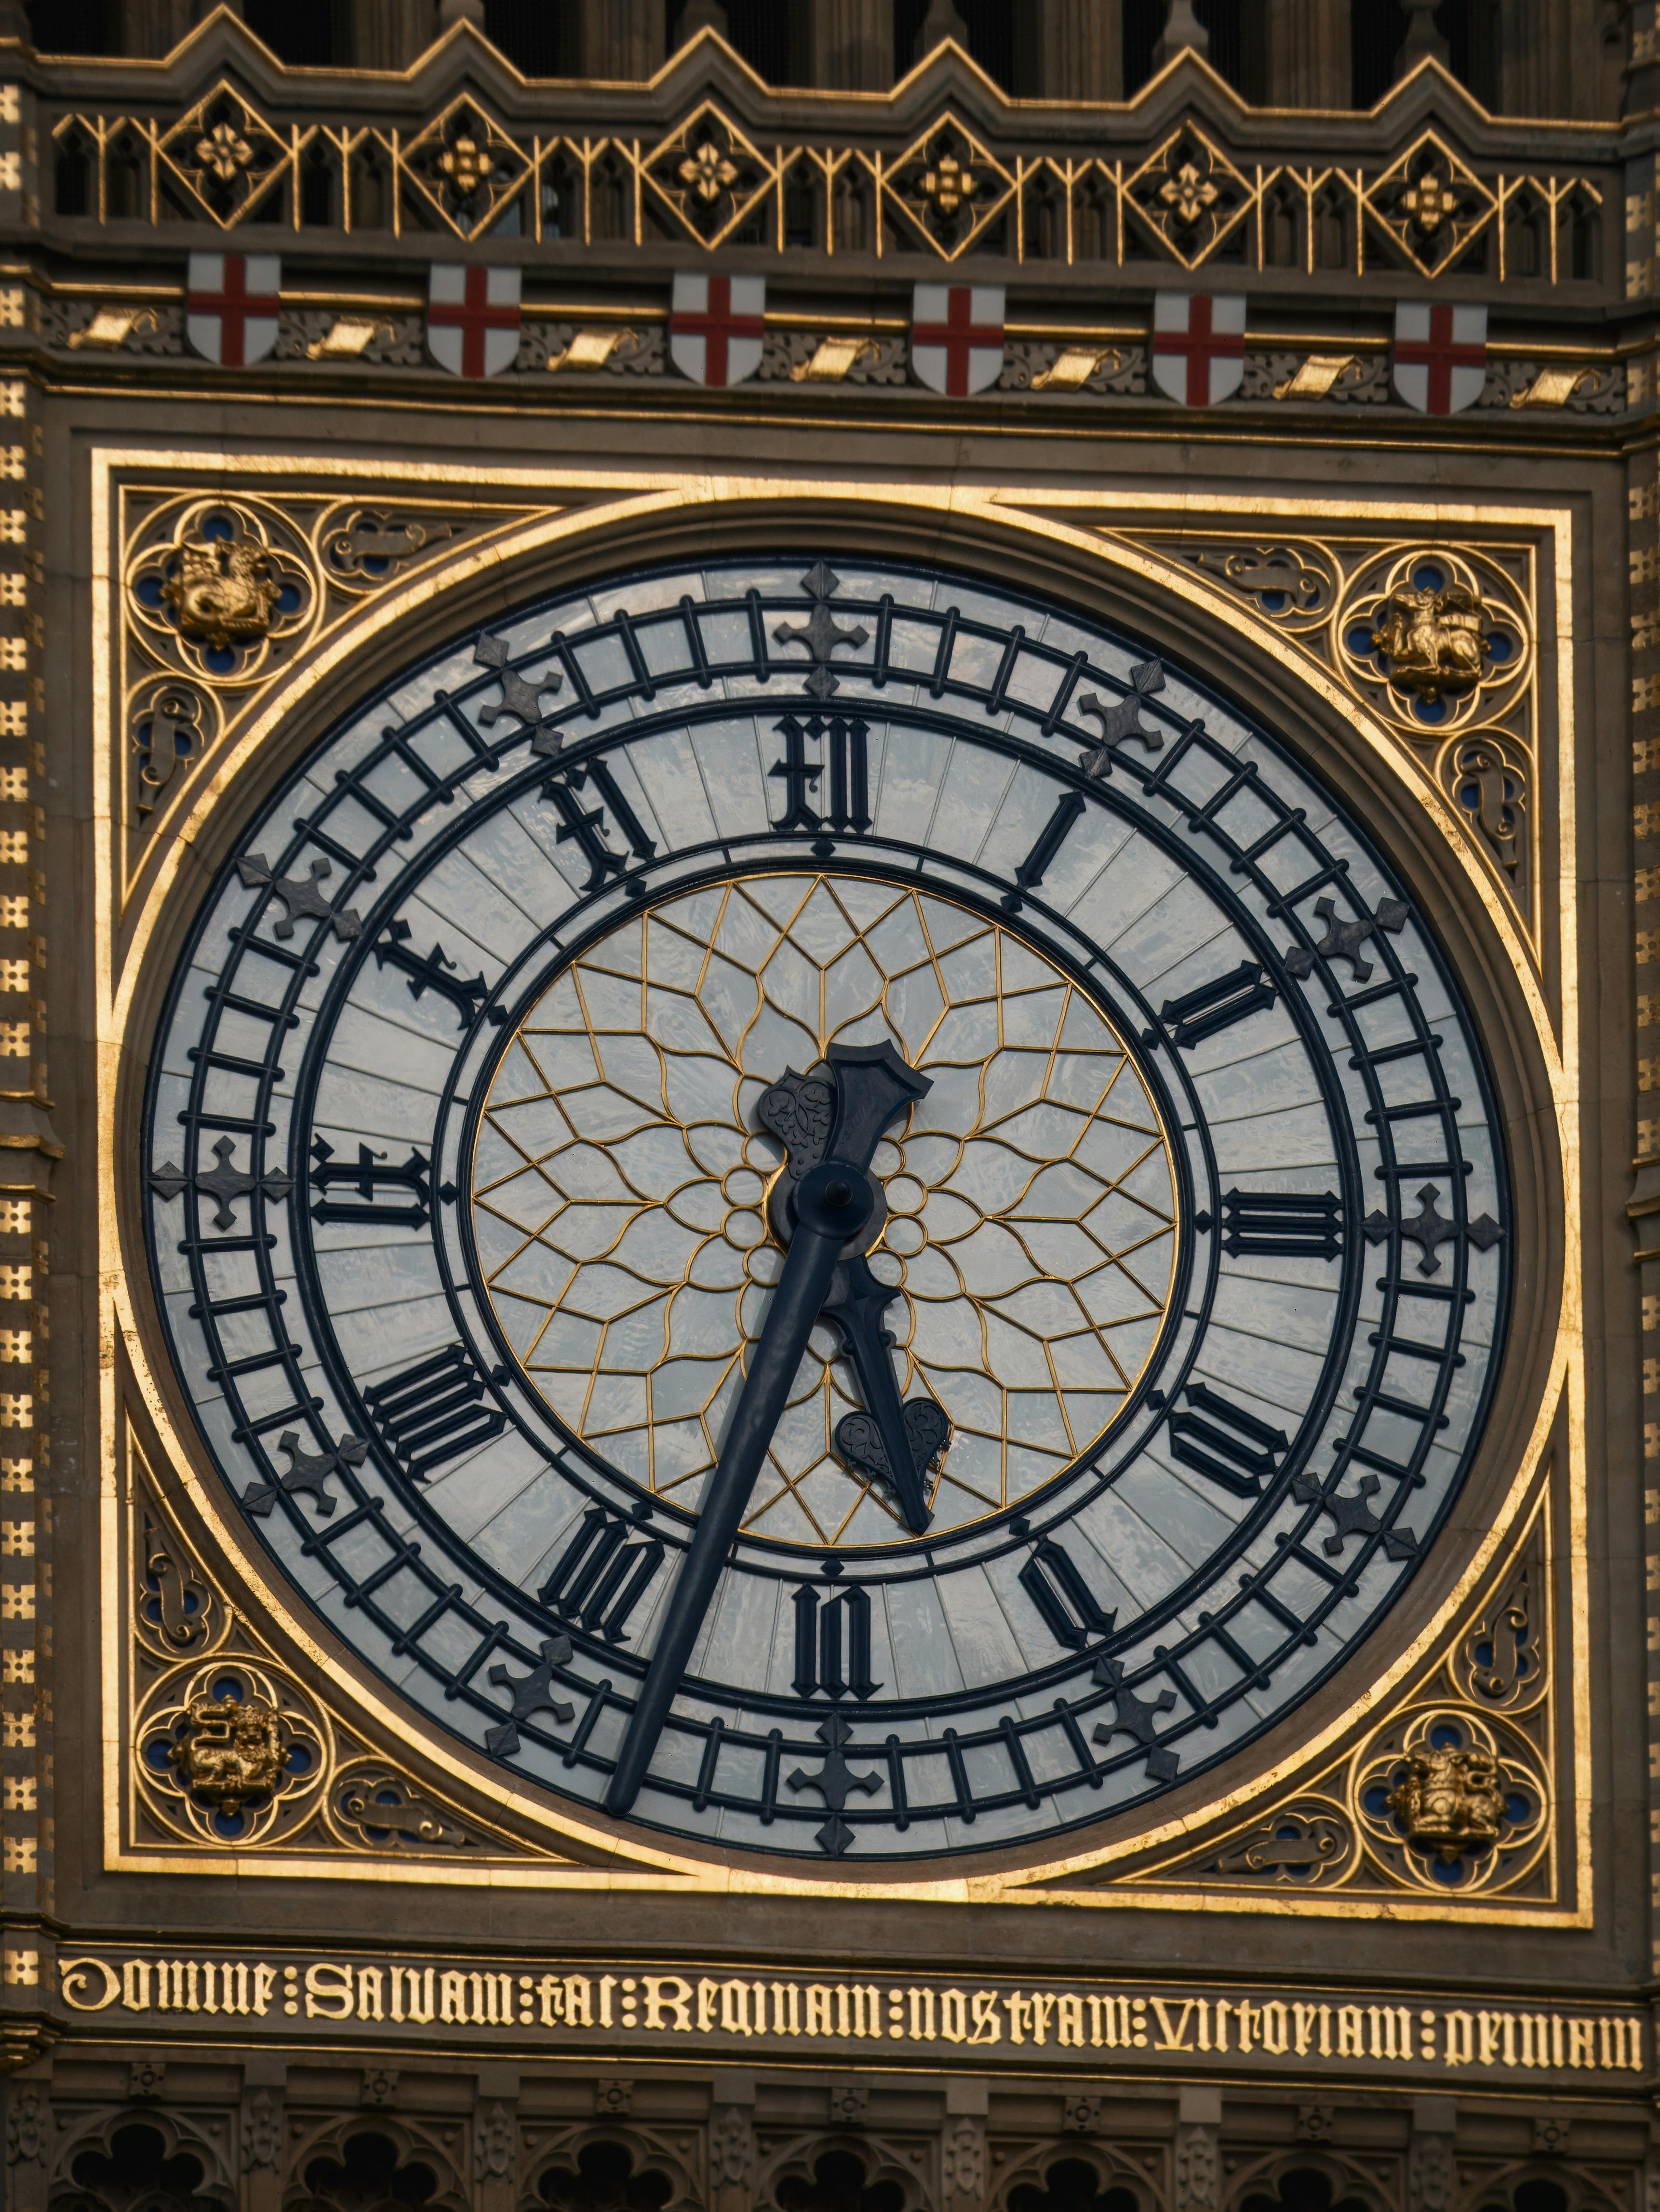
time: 5:32
